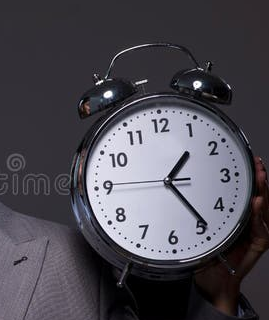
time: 1:23
